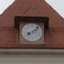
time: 8:07
